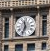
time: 11:33
